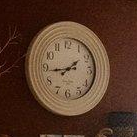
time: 1:43
